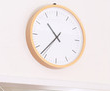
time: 10:37
